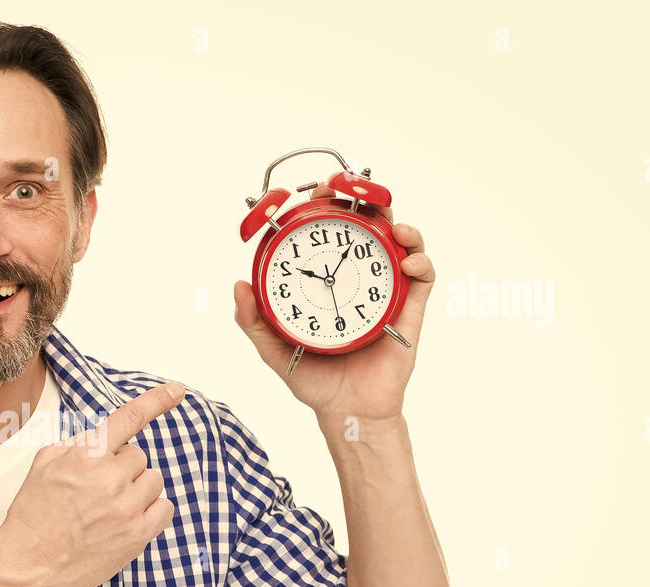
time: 10:07
